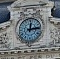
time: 12:13
